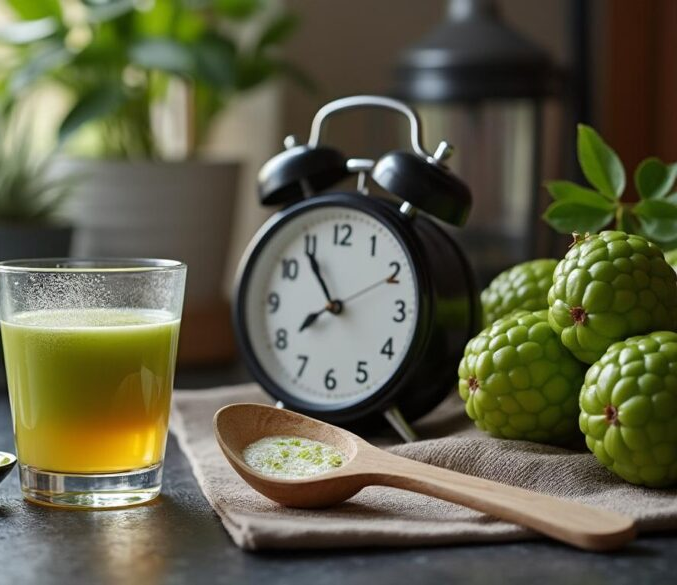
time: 7:54
